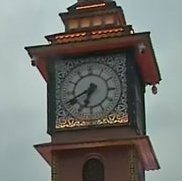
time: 6:41
